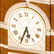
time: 5:33
